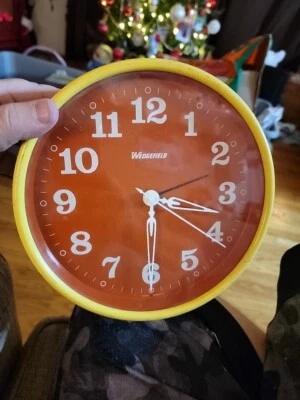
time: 3:29
